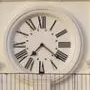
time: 7:21
